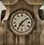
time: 7:08
